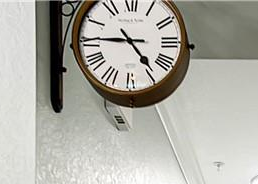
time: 4:45
